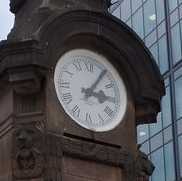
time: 3:05
